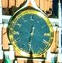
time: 6:32
